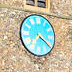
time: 7:20
